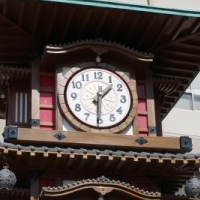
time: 1:30
